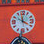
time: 3:58
